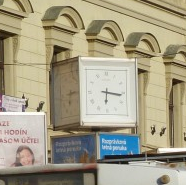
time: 6:16
